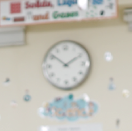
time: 1:51
